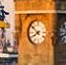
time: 7:51
